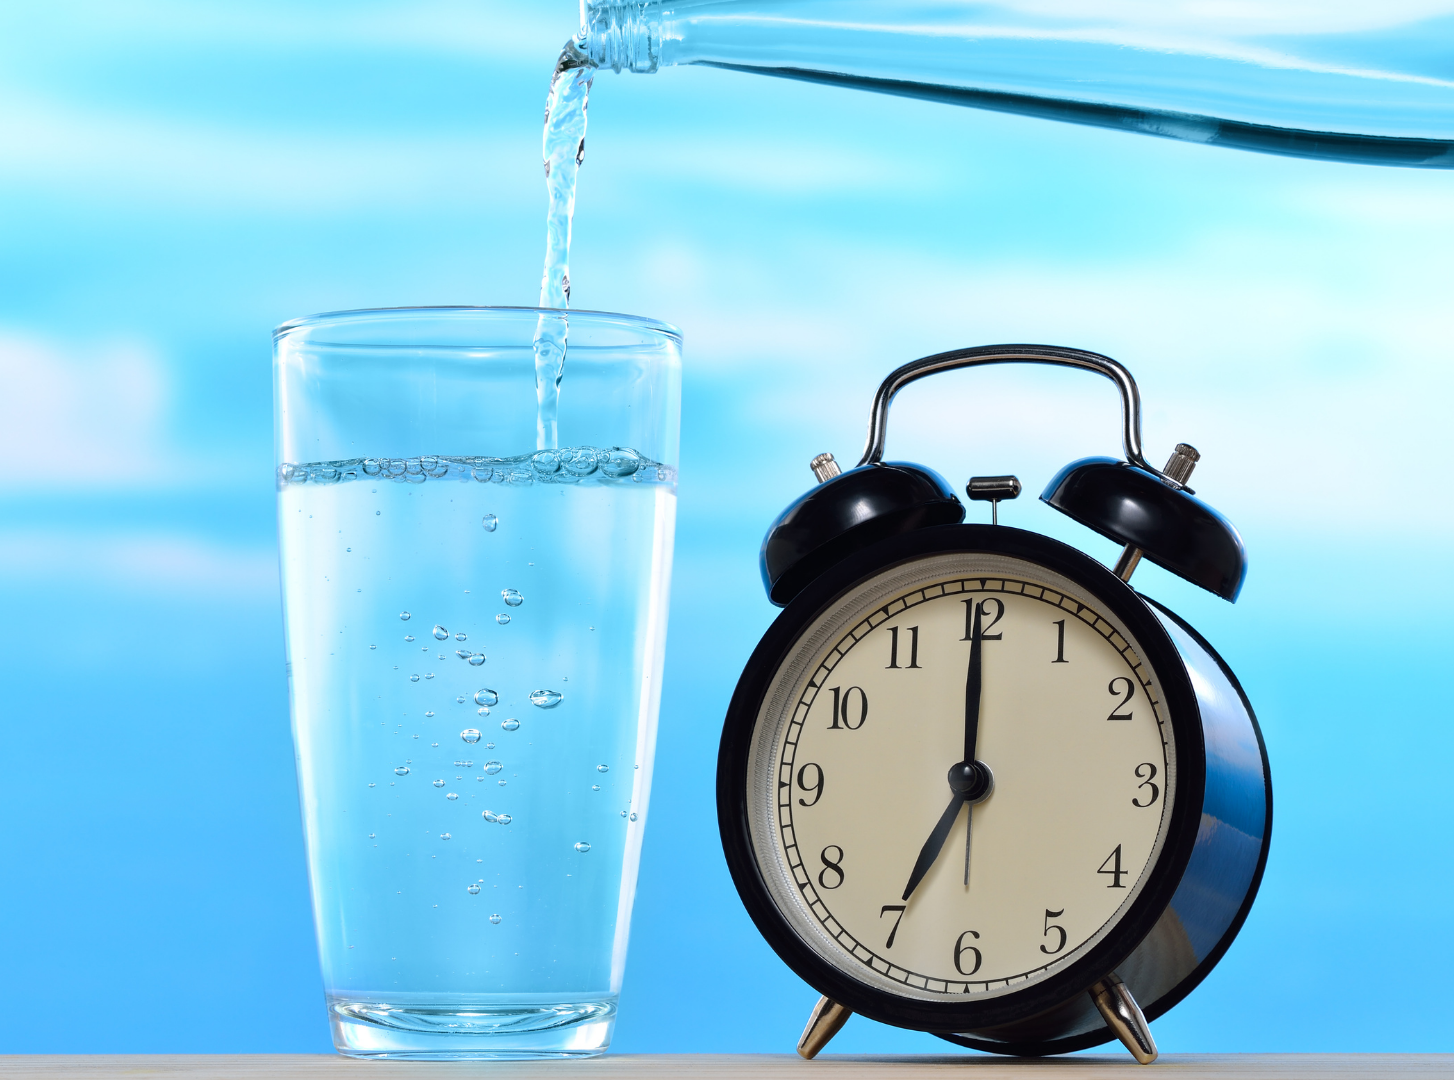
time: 7:00
